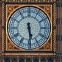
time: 5:29
